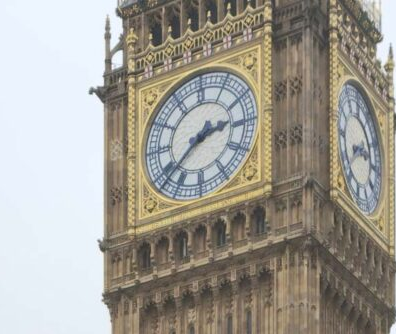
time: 2:38
